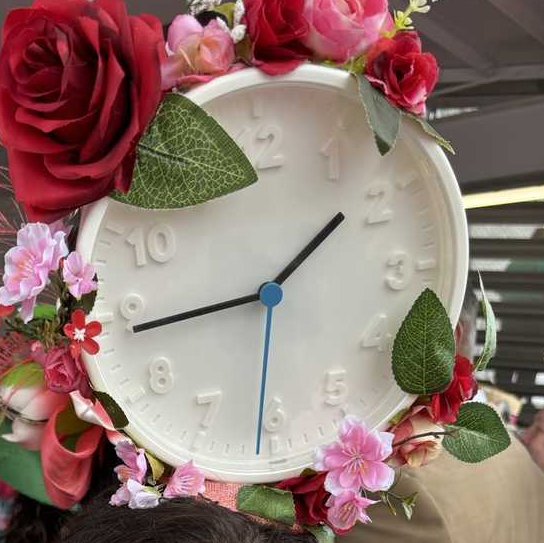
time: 1:43
